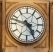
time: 4:47
